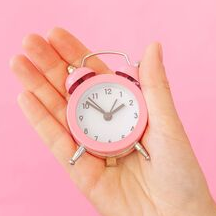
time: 1:52
